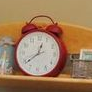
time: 12:38
